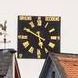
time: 5:49
